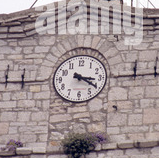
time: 3:20
